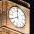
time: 7:59
